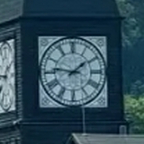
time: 1:46
